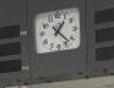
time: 1:22
